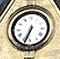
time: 6:33
